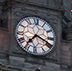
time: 7:18
